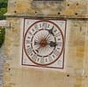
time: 3:04
